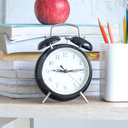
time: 9:14
